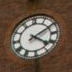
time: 4:10
